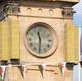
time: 11:31
